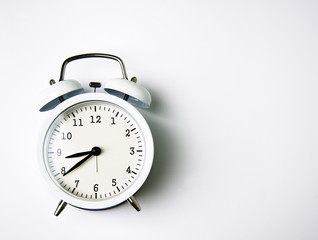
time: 8:38
